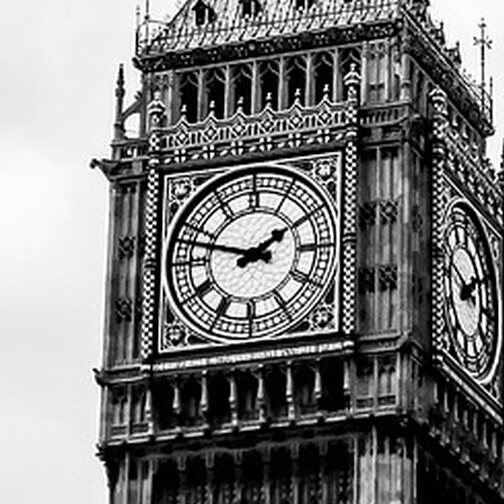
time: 1:47
